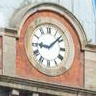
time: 9:08
